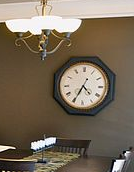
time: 4:34
